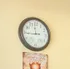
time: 11:44
